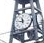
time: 11:46
